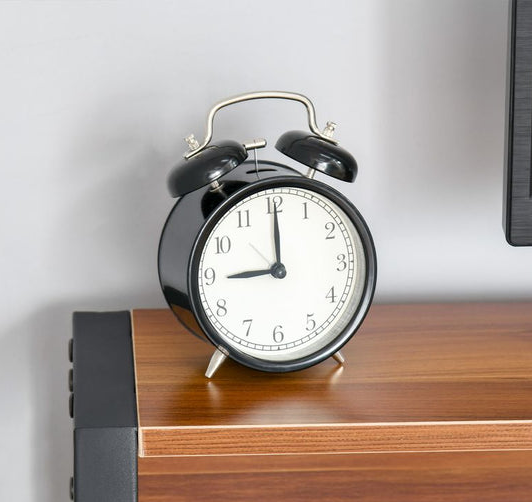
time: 9:00
